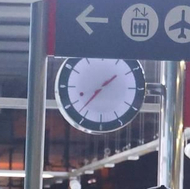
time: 1:36
